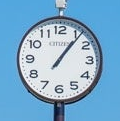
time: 1:06
